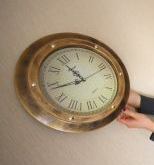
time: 10:43
